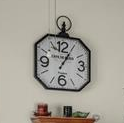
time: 1:05
